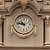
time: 10:46
